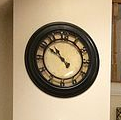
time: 10:51
